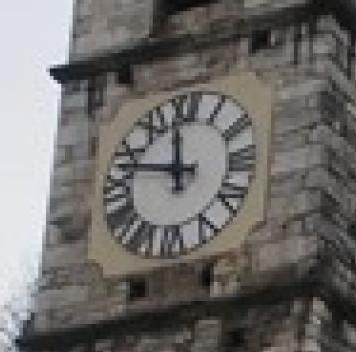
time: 11:46
